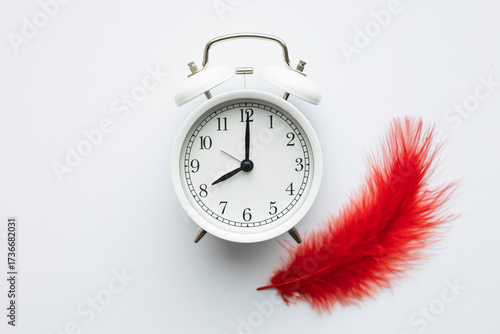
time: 8:00
